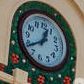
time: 12:38
